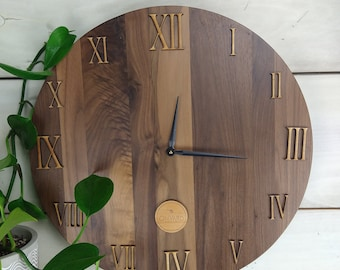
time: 12:16
